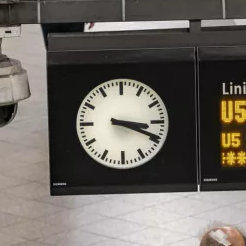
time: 3:19
